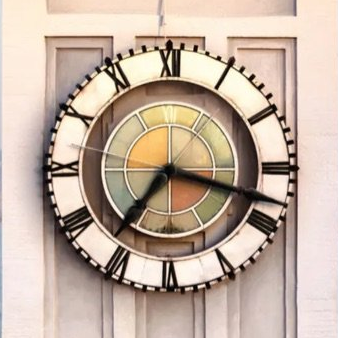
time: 7:17
